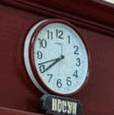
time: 7:41
